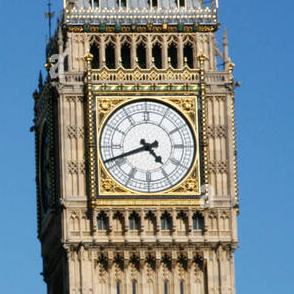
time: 4:41
